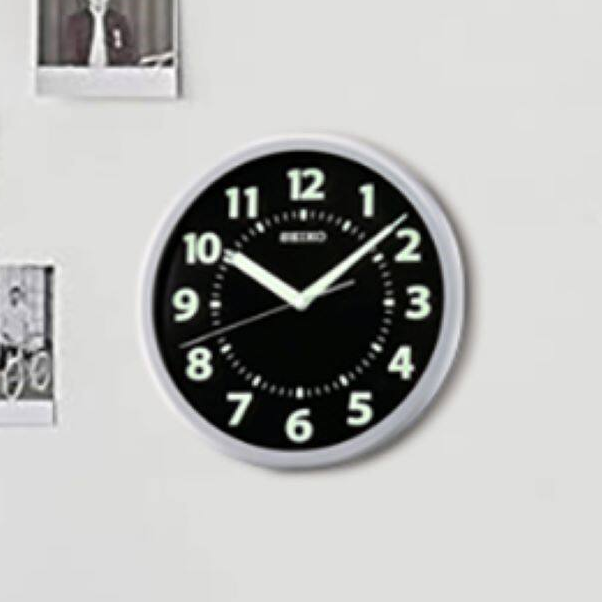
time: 10:08
